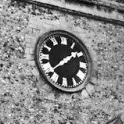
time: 1:39
